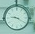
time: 9:20
